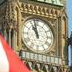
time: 10:58
